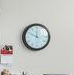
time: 11:49
